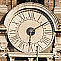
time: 6:09
